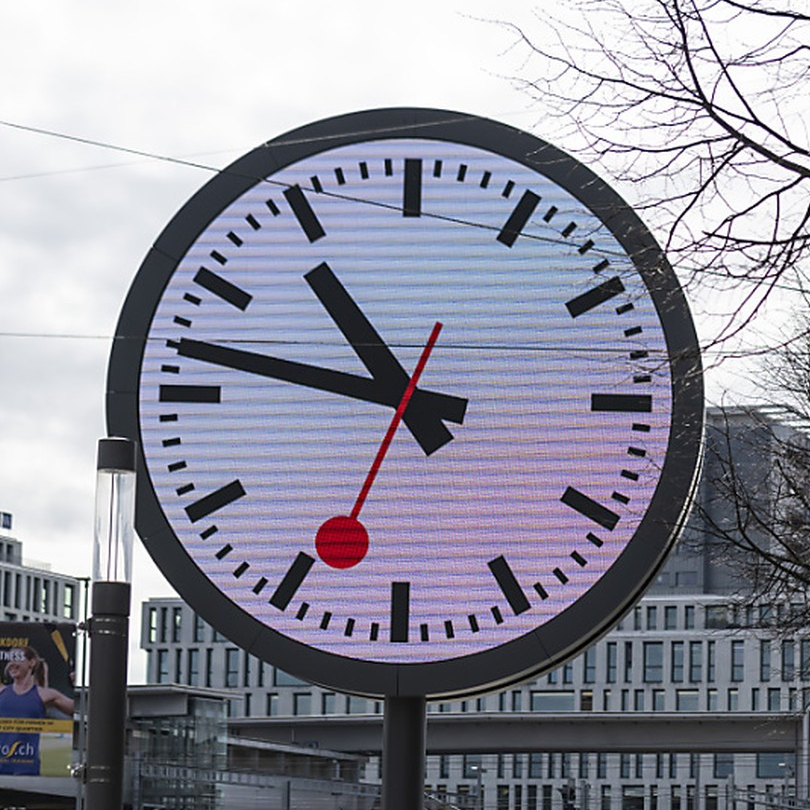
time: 10:47
